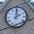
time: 2:00
